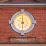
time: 5:59
